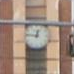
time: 11:46
